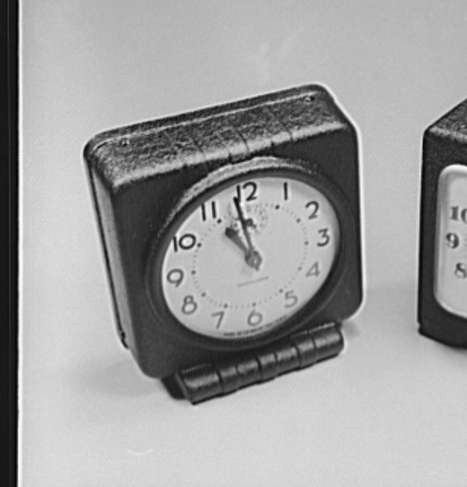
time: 10:58
